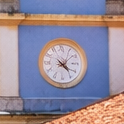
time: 4:20
